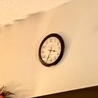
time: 3:34
